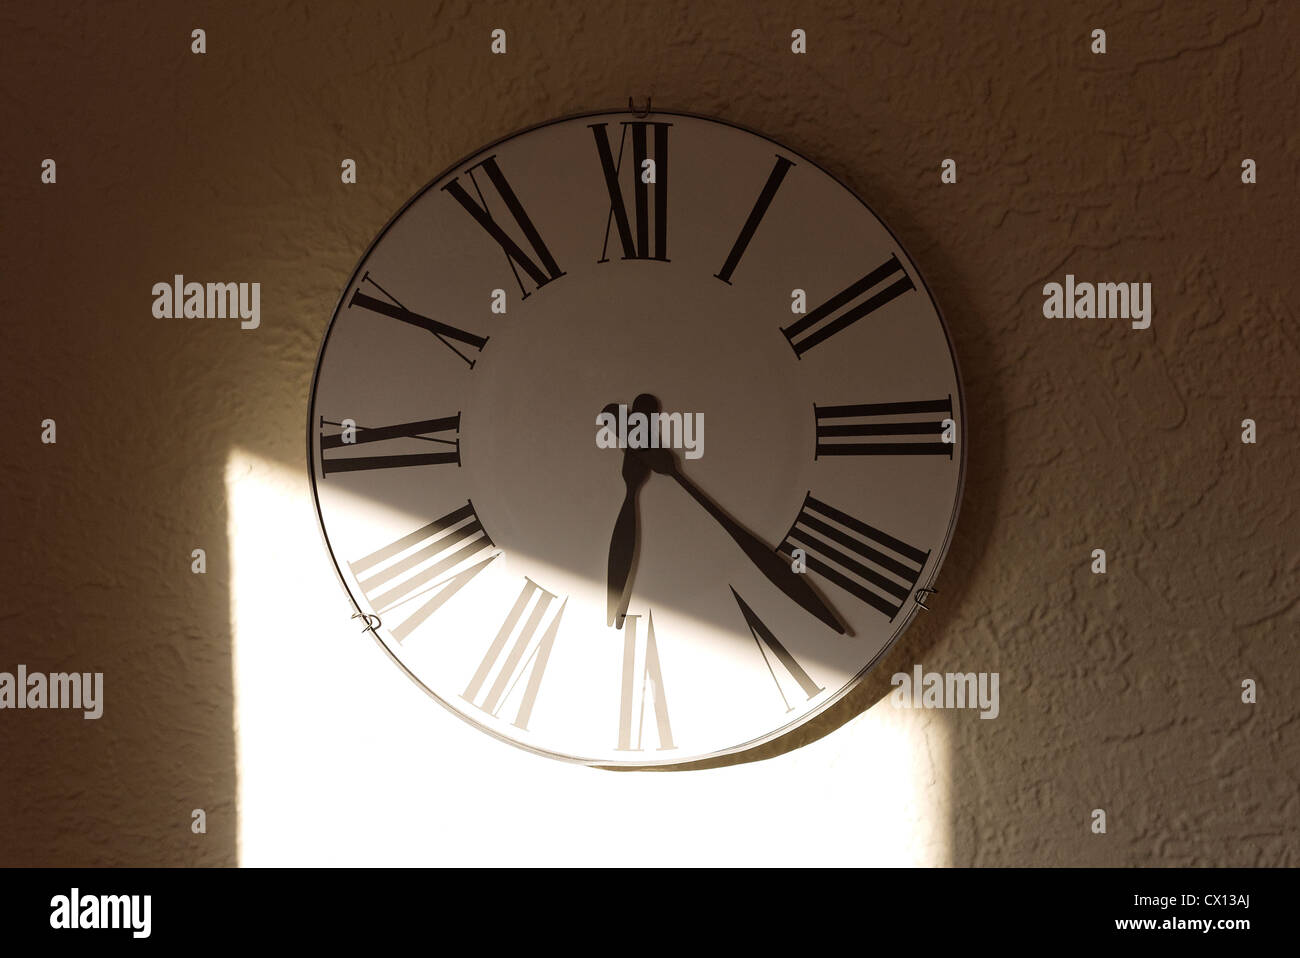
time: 6:21
